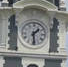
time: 1:28
